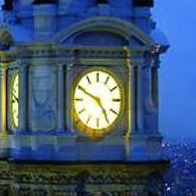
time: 4:49
